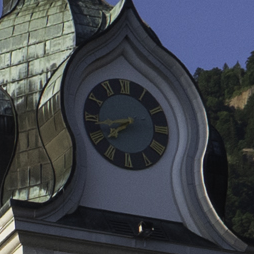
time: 7:43
